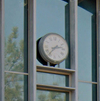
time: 2:36
